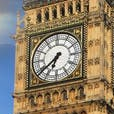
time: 6:38
